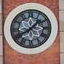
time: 1:39
